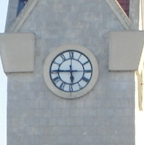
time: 5:45
